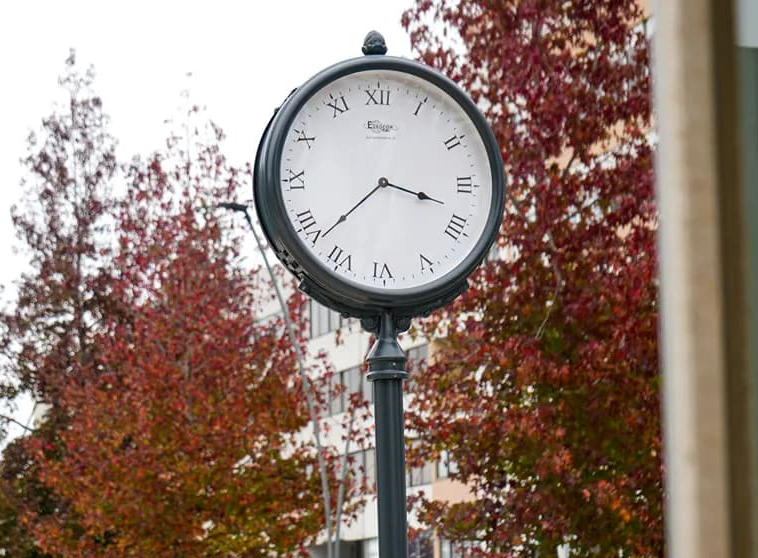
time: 3:37
